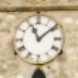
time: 11:08
